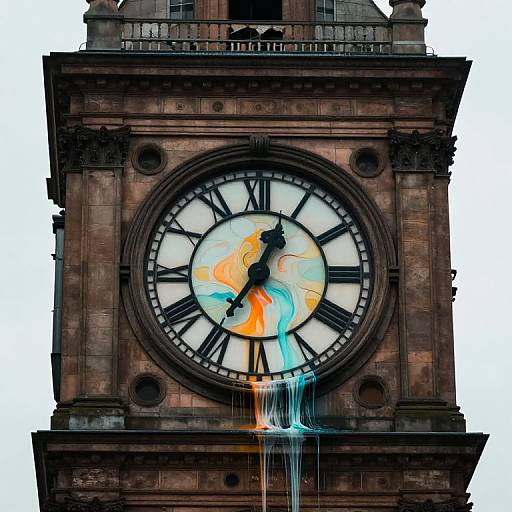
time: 12:35
